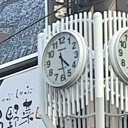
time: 4:28
